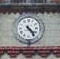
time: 4:23
